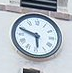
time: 5:48
